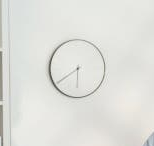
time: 5:39
